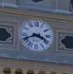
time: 3:41
